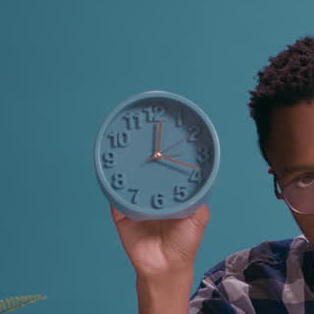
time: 12:18
